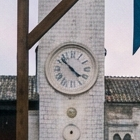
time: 3:52
